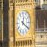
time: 12:20
